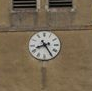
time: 8:24
